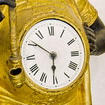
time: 5:50
